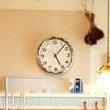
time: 5:07
